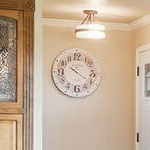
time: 4:20
